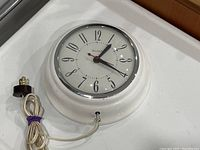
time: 1:20
